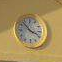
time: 3:52
